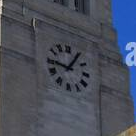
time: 9:05
